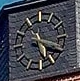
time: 5:18
